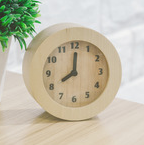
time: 8:00
